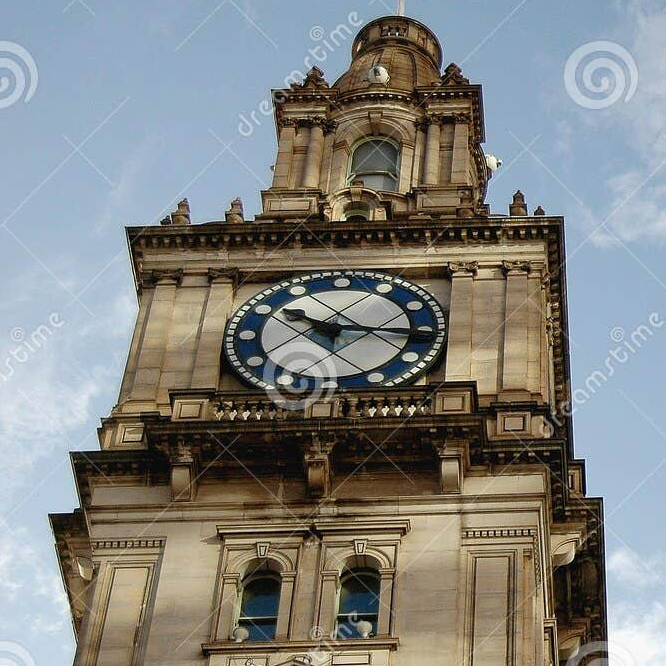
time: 10:15
